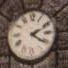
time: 2:21
